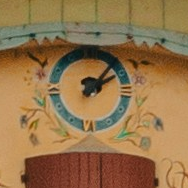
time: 2:06
